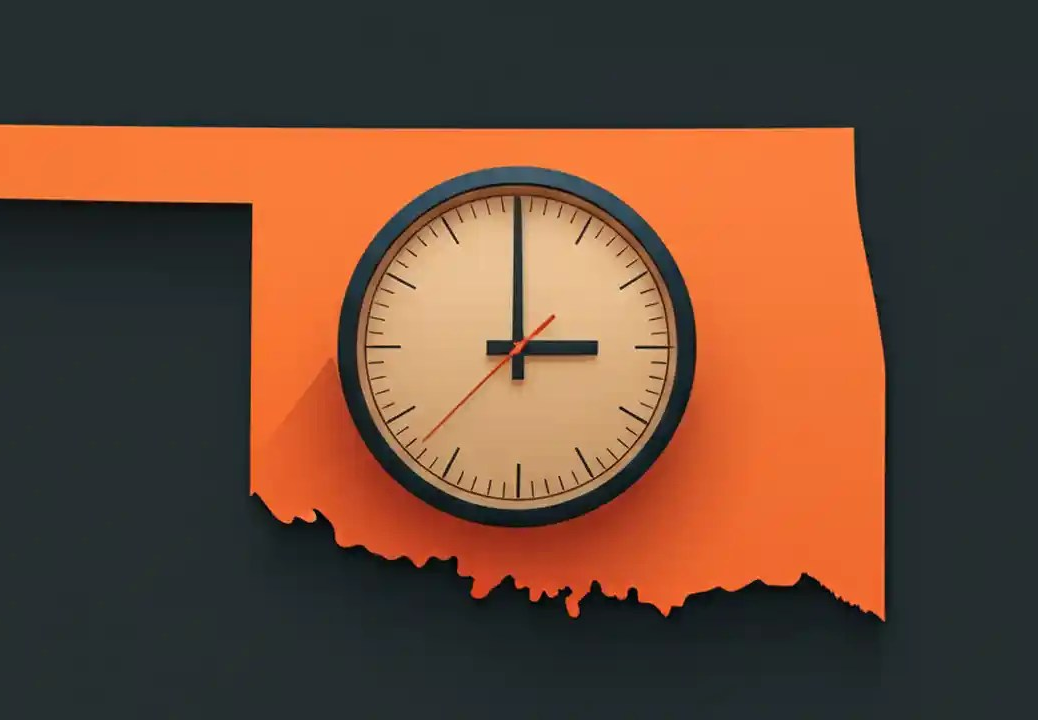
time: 2:59
